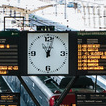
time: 11:02
